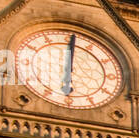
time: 6:00
